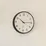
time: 10:14
